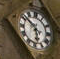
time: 5:51
